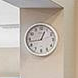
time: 12:43
